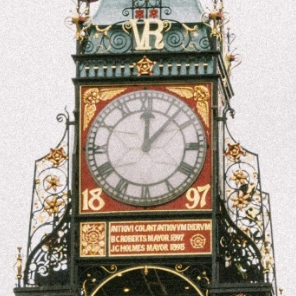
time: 12:07
